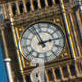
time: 2:57
